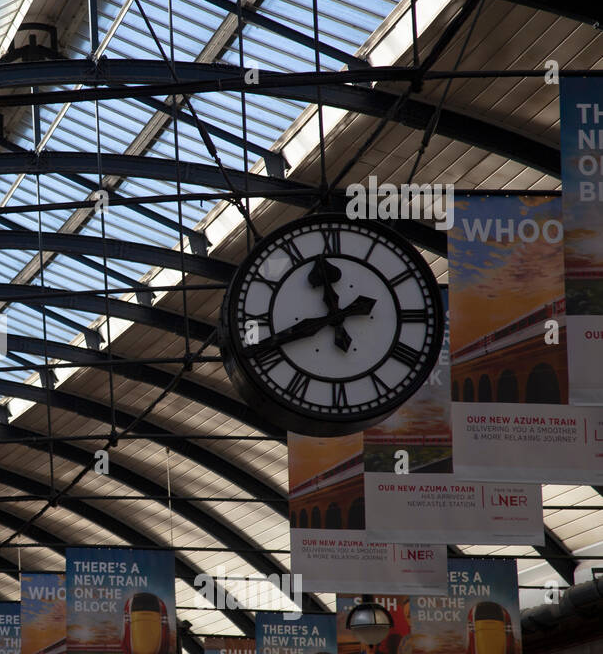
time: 11:41
